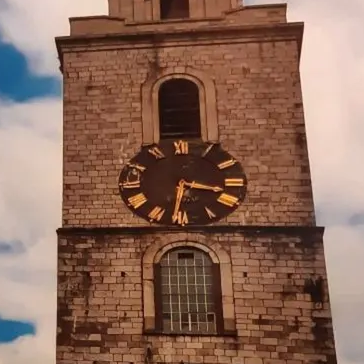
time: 3:31
